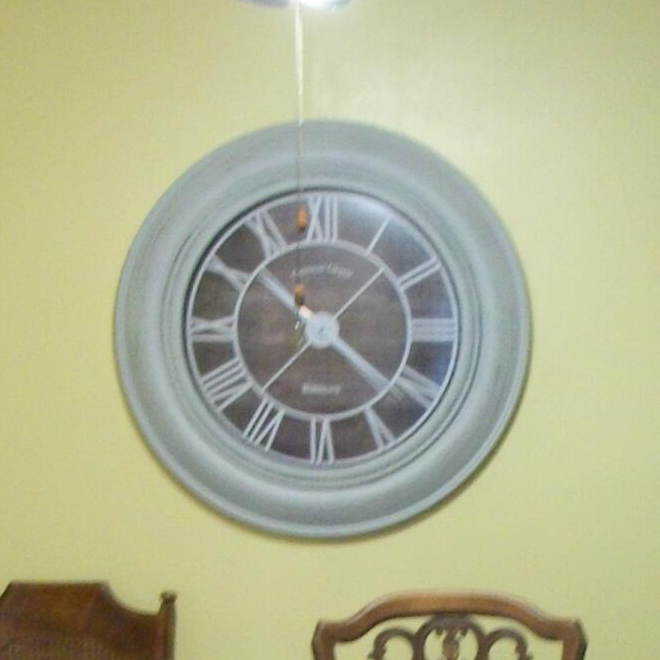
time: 10:20
